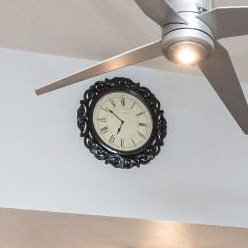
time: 6:51
